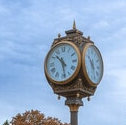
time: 10:28
